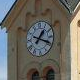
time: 1:18
